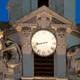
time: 8:42
